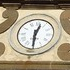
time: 12:29
